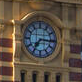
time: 7:15
